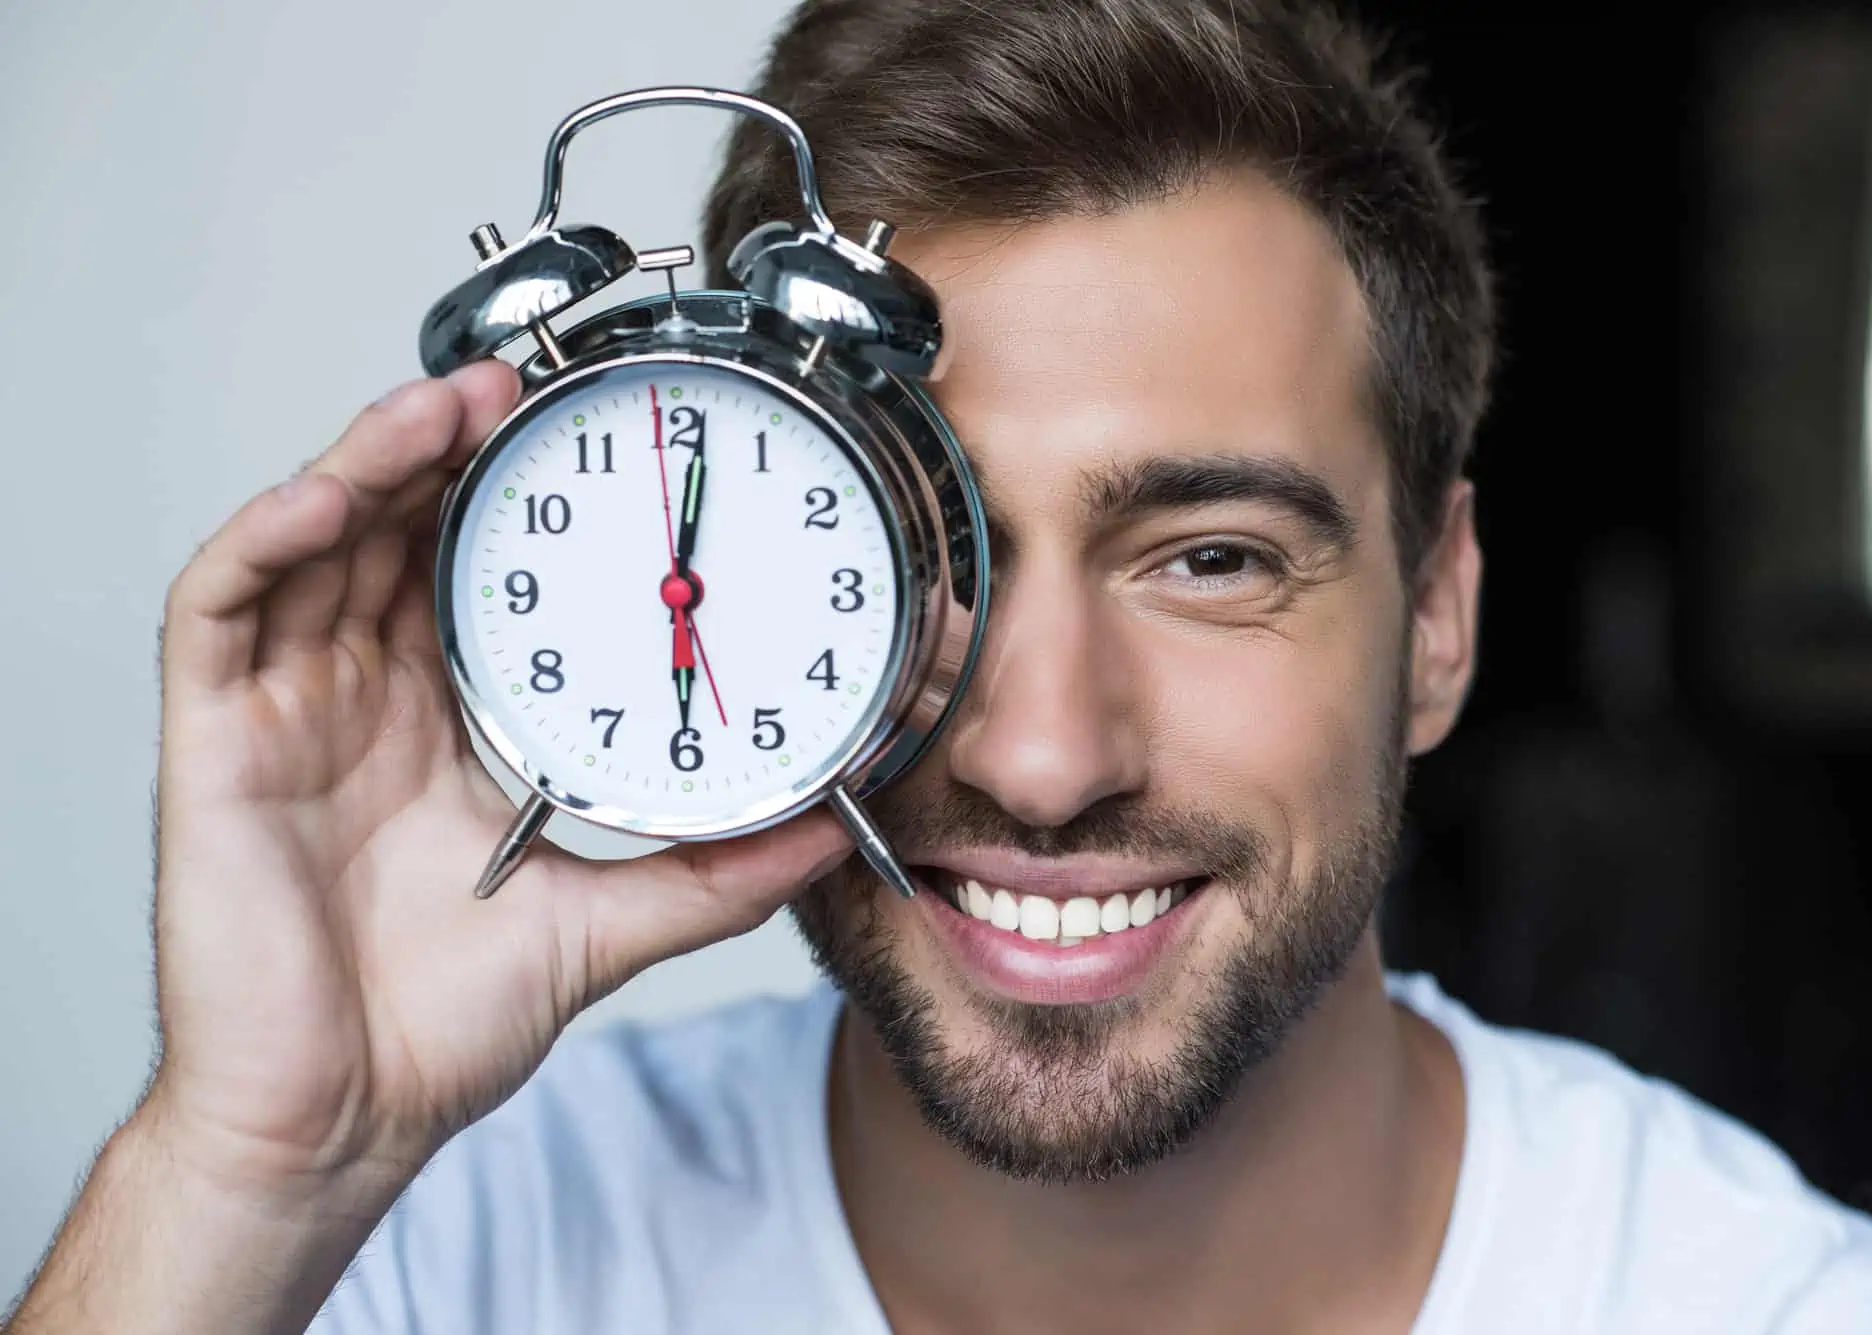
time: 6:01
